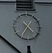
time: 4:35
